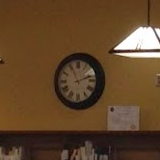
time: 11:11
